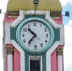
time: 10:36
